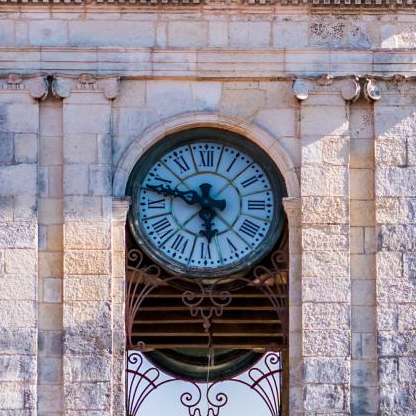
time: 5:47
